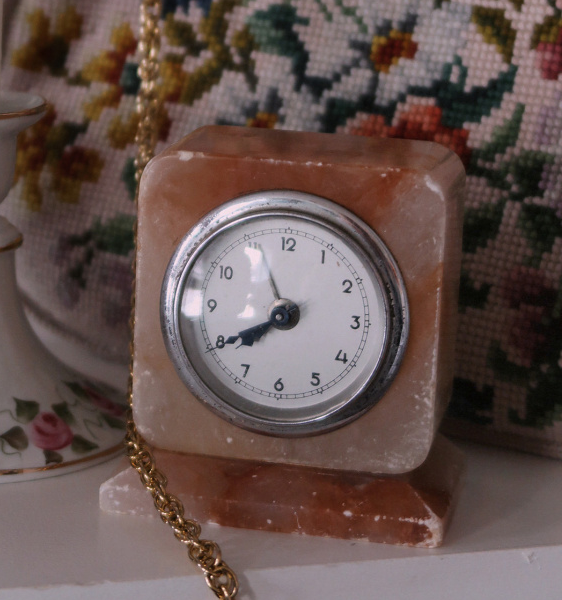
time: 7:40
